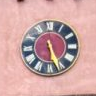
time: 5:26
